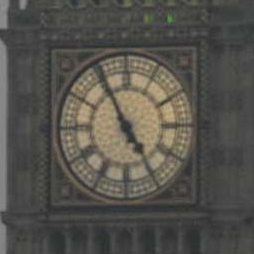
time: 4:55
